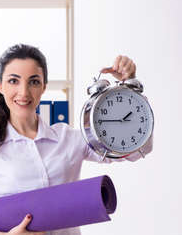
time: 1:45
